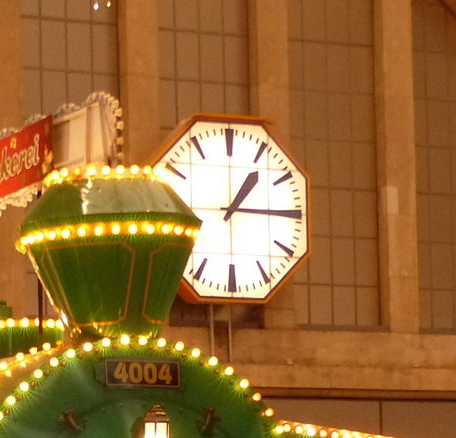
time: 1:14
